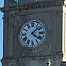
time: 4:07
